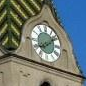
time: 8:09
